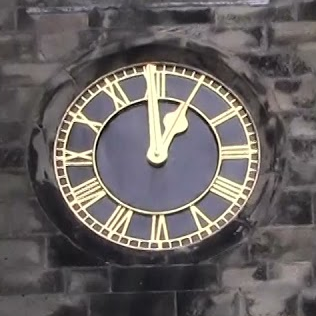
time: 12:59
